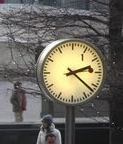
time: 2:22
